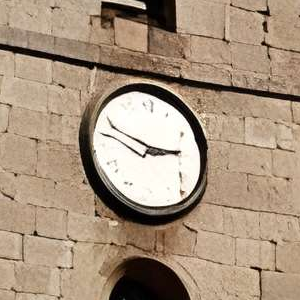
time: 2:48
